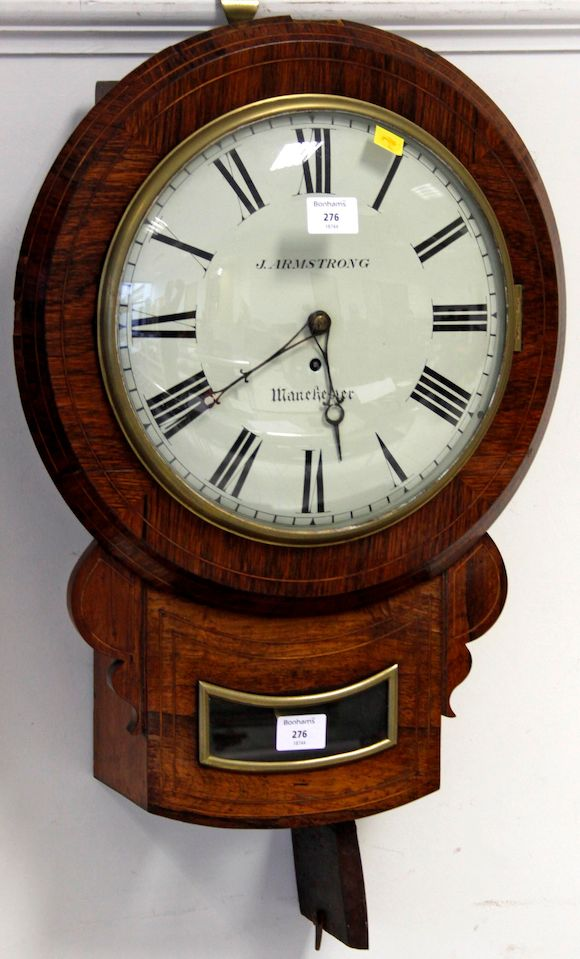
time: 5:38
